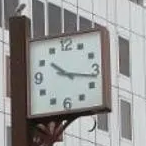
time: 10:17
